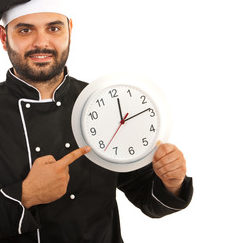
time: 12:13
